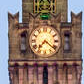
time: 7:21
